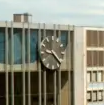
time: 9:22
